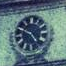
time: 4:49
